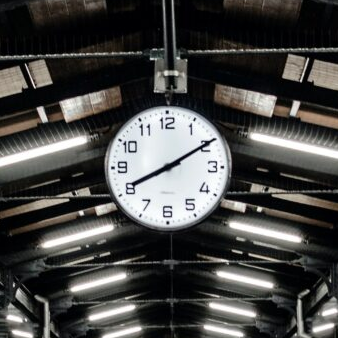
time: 8:09
